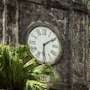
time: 6:09
